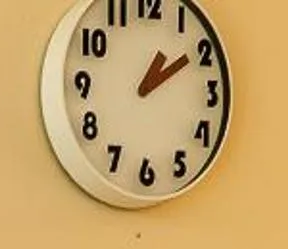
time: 1:09
